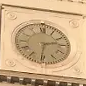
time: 2:31
